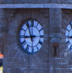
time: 8:56
